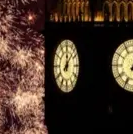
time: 12:07
